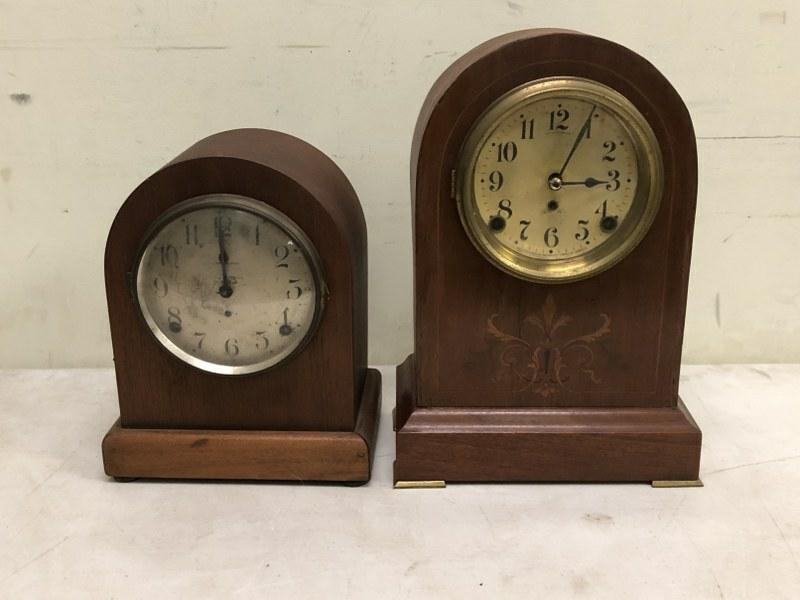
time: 3:04
